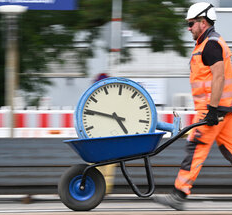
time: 4:46
